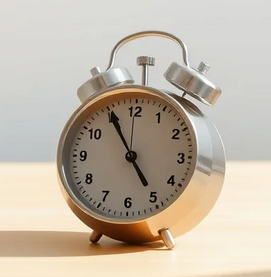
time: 4:55
